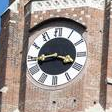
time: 3:43
